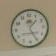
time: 1:25
